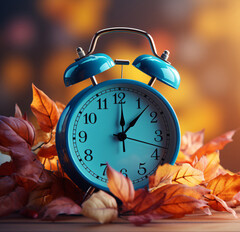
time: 12:07
